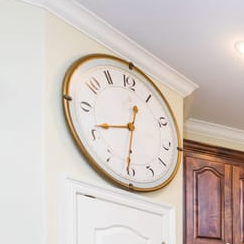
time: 12:30
